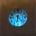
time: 6:22
